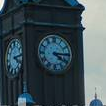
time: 4:14
